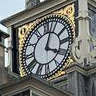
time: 4:03
